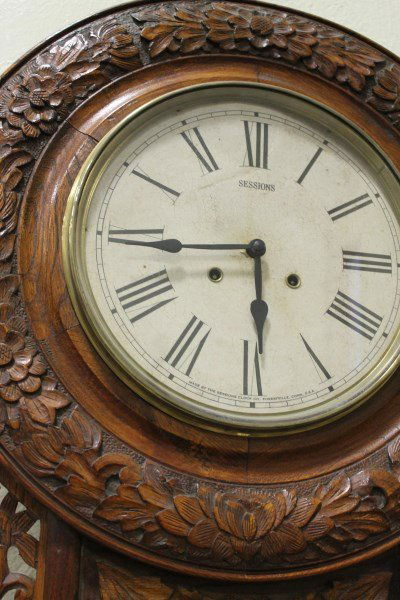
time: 5:44
